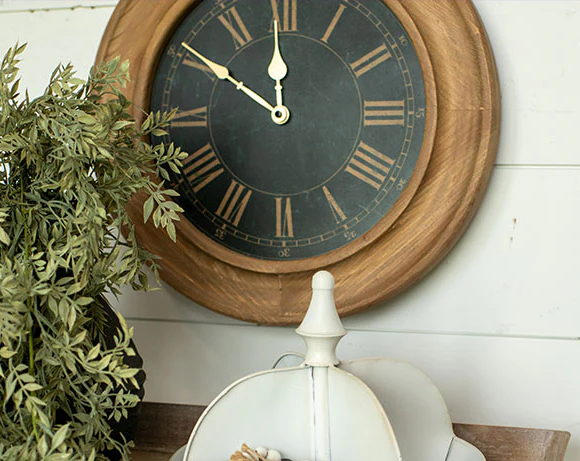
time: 11:50
